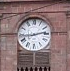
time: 2:43
